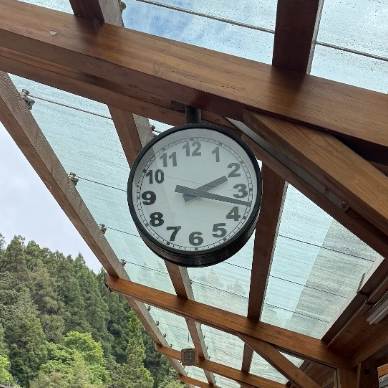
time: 2:17
